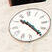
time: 10:24
